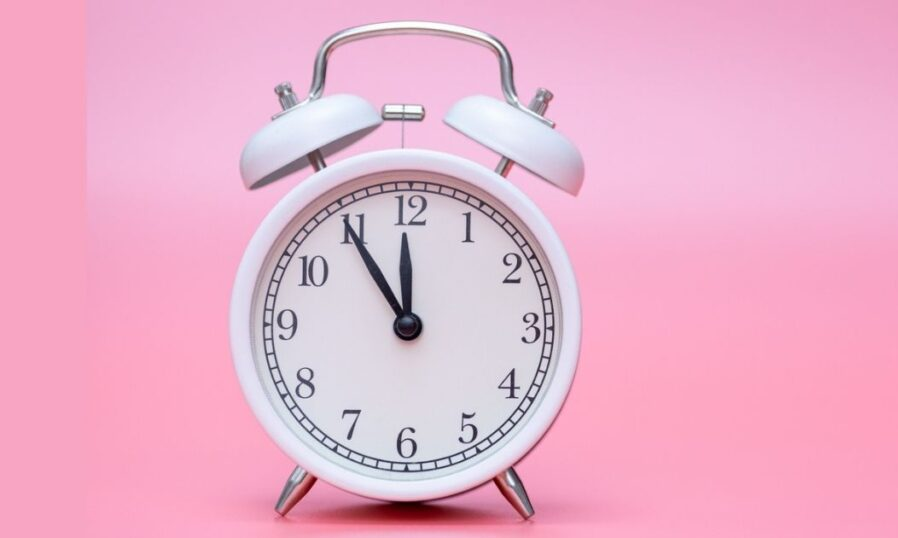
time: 11:54
